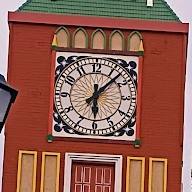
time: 6:07
